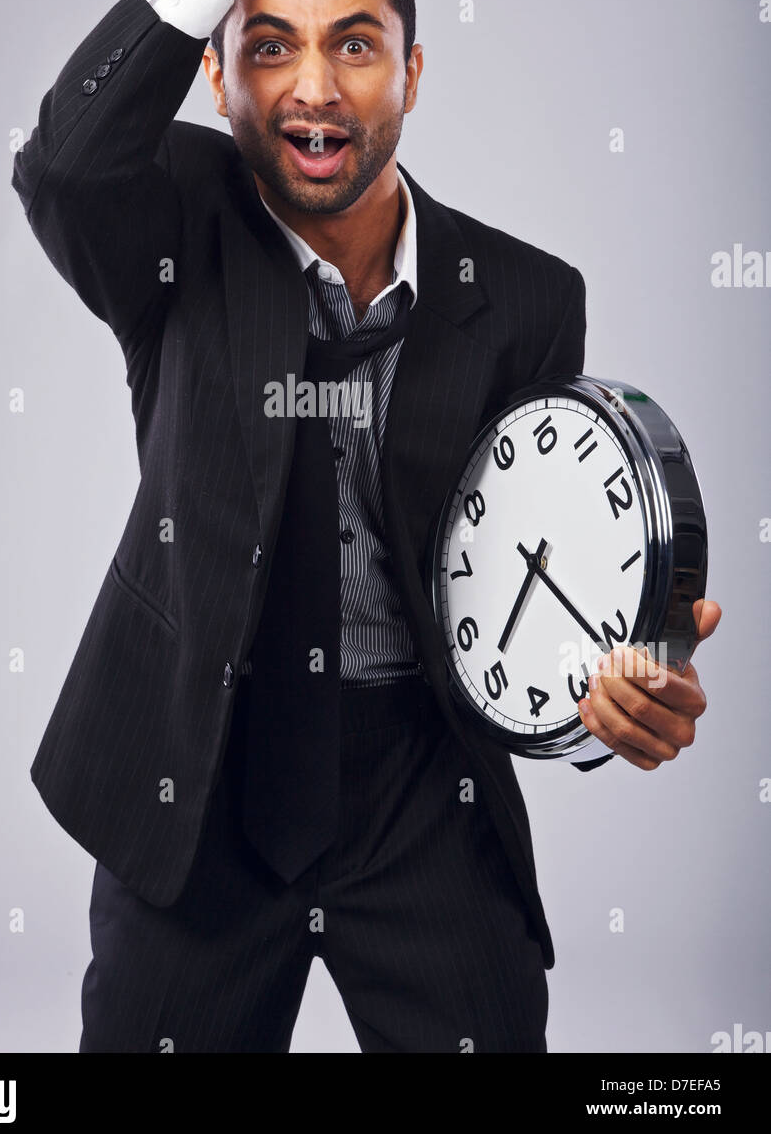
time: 7:21
